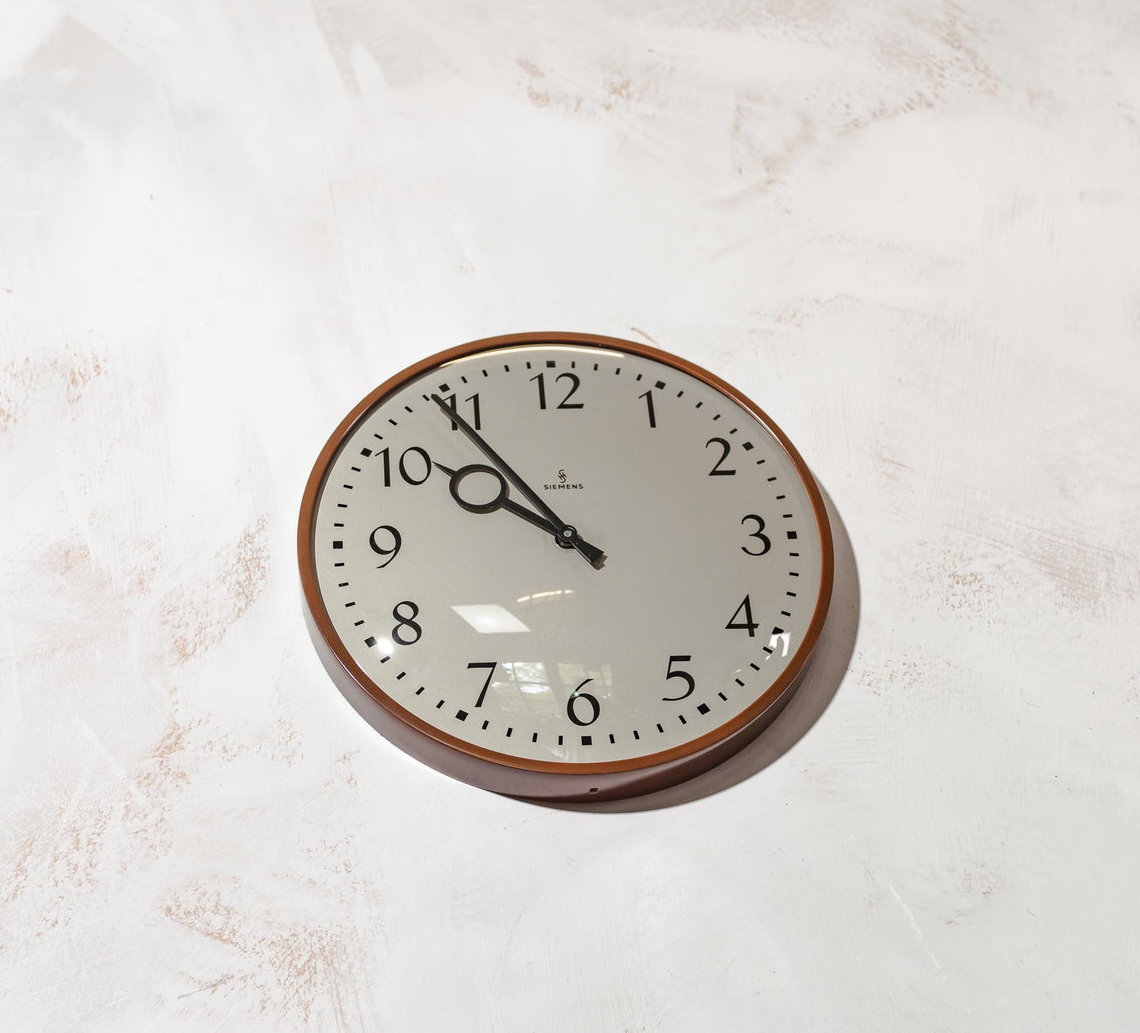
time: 9:54
